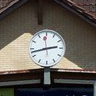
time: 2:42
